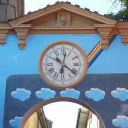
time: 6:21
